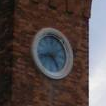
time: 8:24
